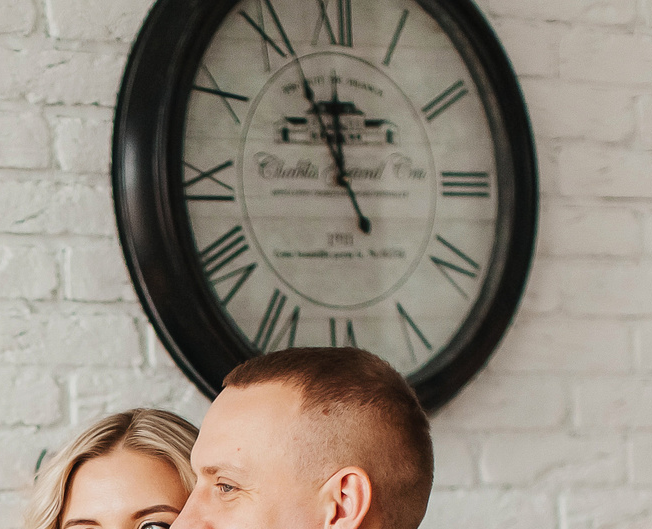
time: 11:56
